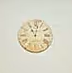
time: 11:02
